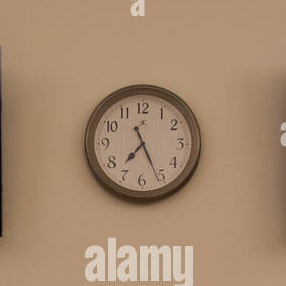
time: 7:25
